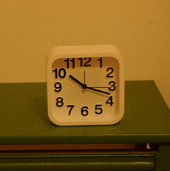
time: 10:17
